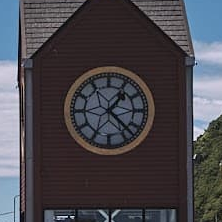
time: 1:22
